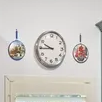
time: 9:44
